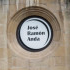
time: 9:14
